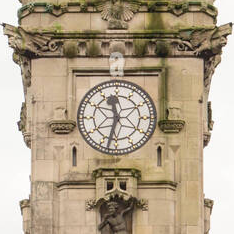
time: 11:32
